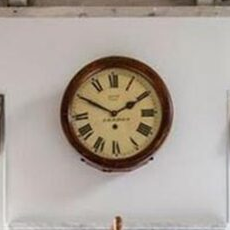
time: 1:49
